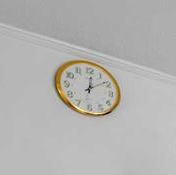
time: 12:09
